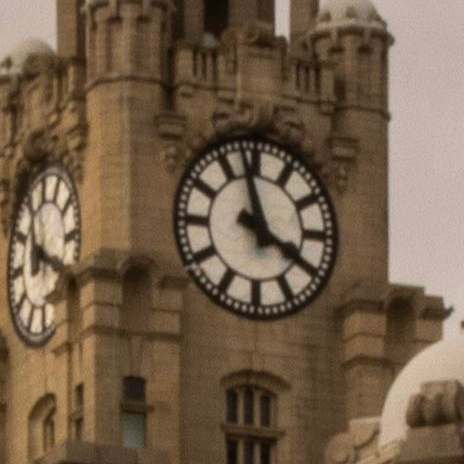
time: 3:57
